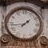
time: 1:43
